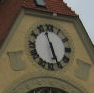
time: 11:26
